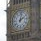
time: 2:02
